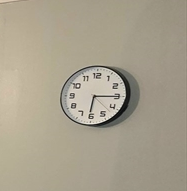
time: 6:15
